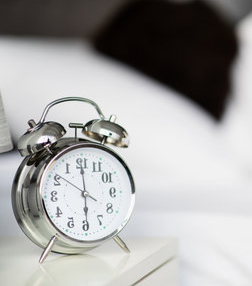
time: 5:59
